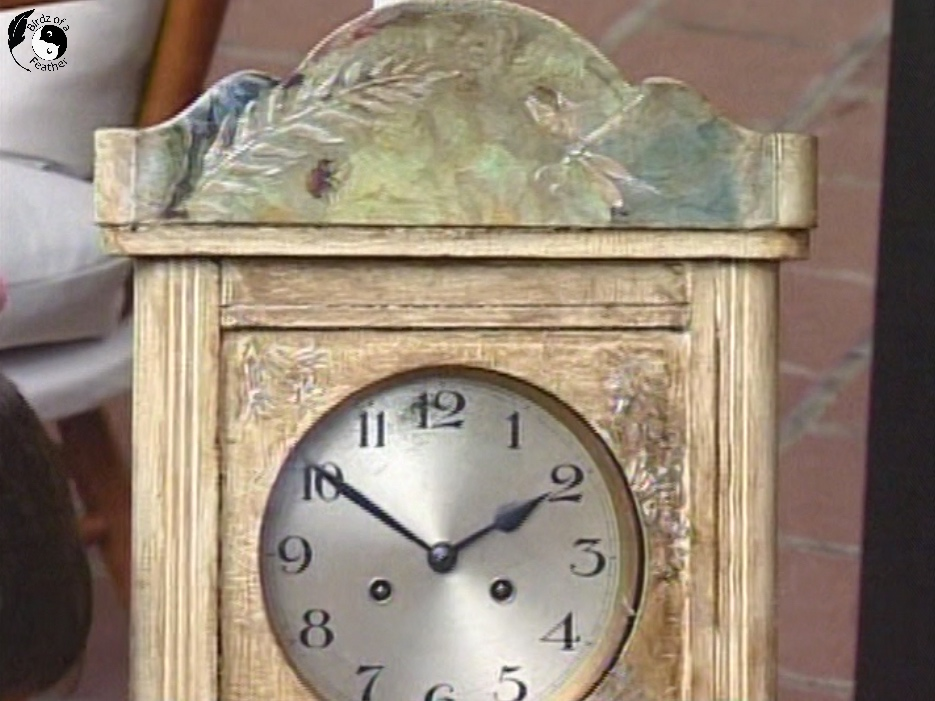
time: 1:50
